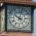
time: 10:02
